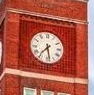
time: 7:28
